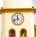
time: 11:42
